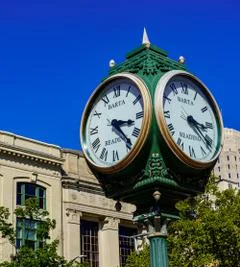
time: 3:23
